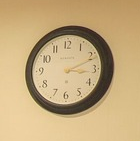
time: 3:11
